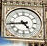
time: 4:43
